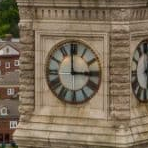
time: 2:59
